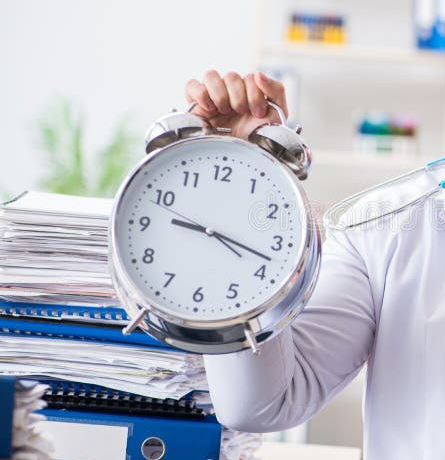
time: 9:17
